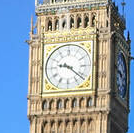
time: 9:21
